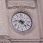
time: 4:46
